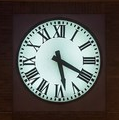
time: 5:19
